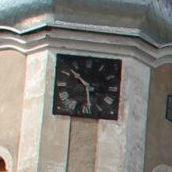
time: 10:28
